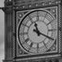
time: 11:19
